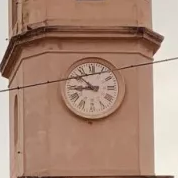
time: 8:52
